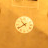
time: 10:39
